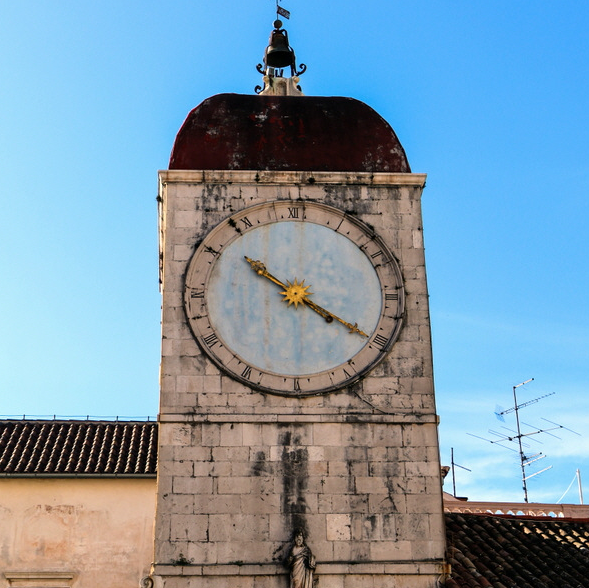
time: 10:20
